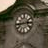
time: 2:43
